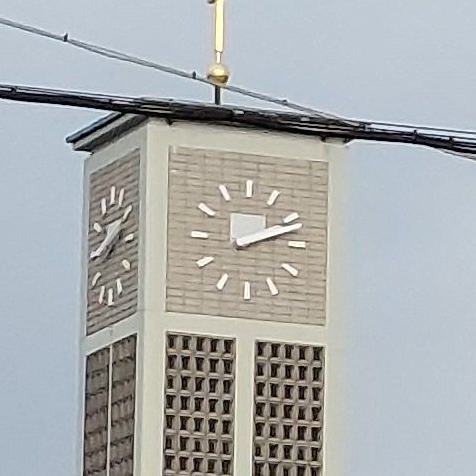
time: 2:11
